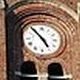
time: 4:53
